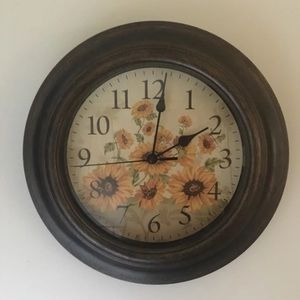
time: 2:01
